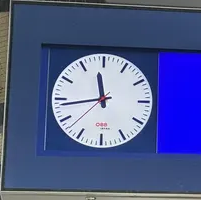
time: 11:43
